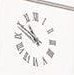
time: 10:49
